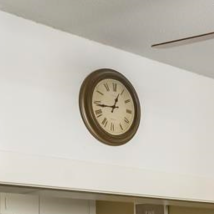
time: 12:43
